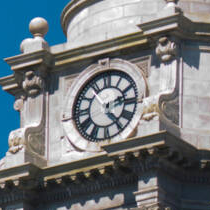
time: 2:24
